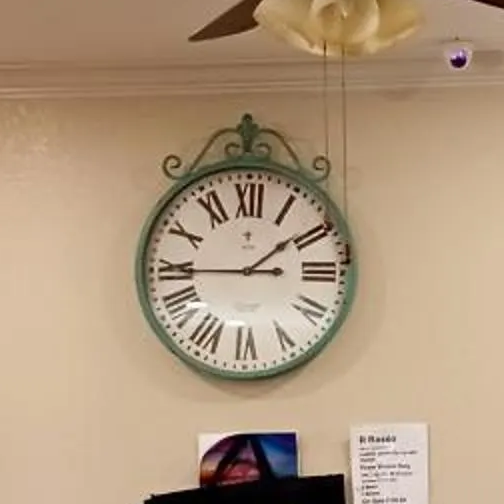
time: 1:44
